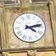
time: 4:12
